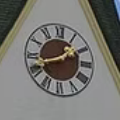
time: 1:42
